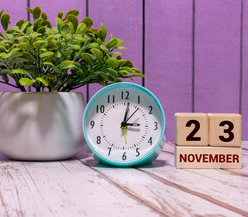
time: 3:01
